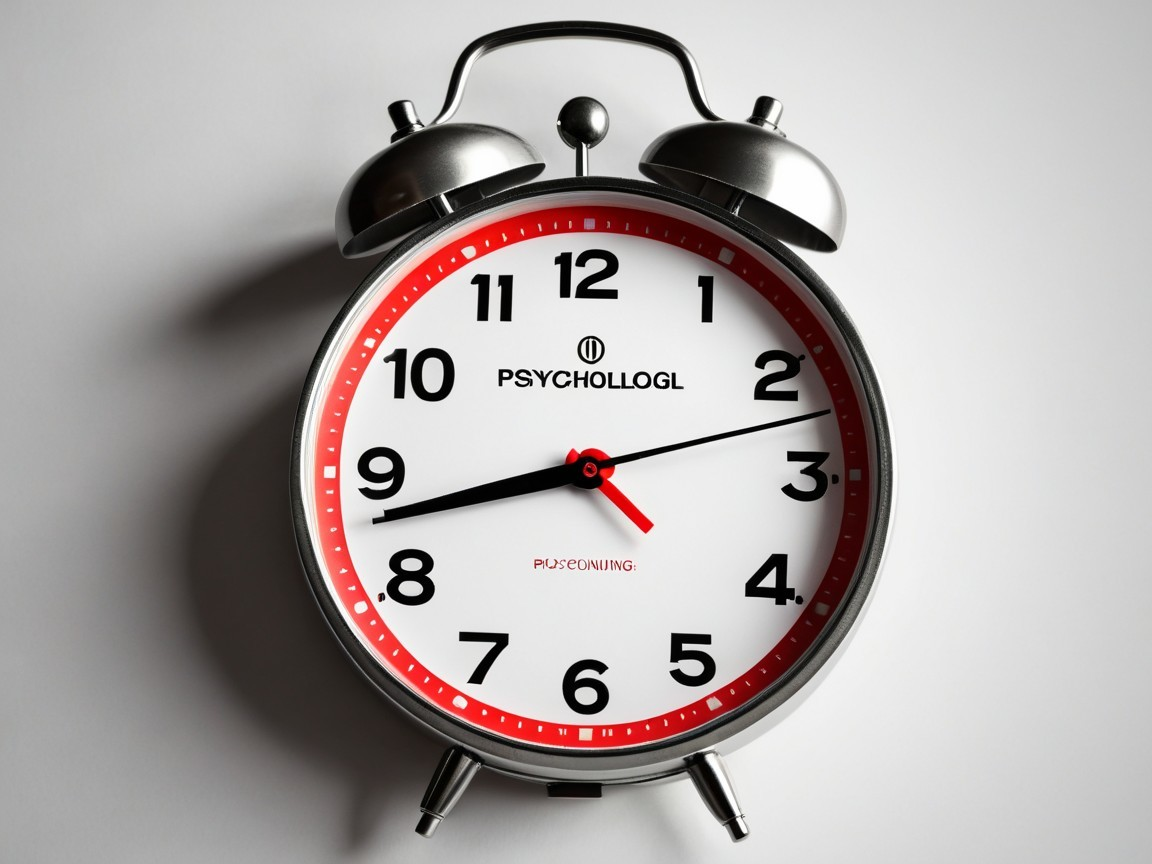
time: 8:42
